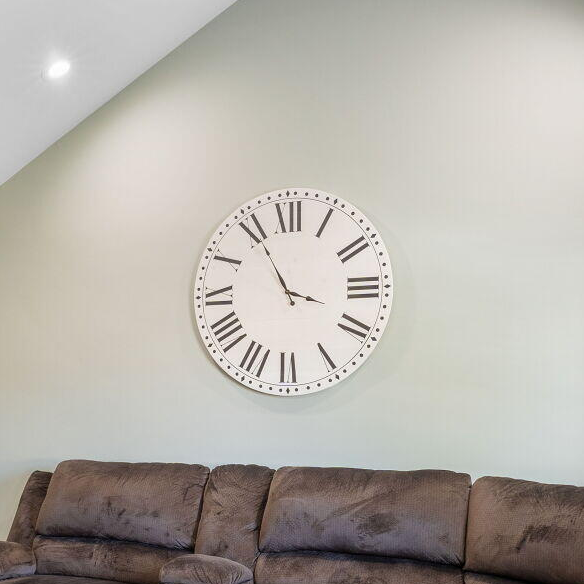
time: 3:55
